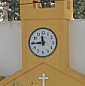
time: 11:44
